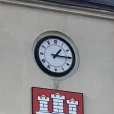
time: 1:15
